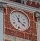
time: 11:21
